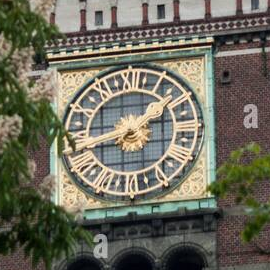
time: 1:43
